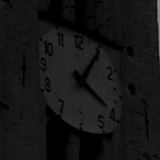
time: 4:04
